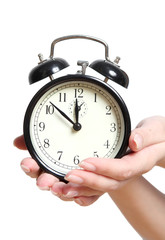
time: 11:51
